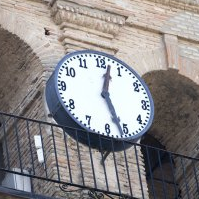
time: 12:26
